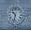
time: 10:32
